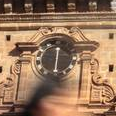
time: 6:00
